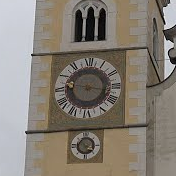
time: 9:16
